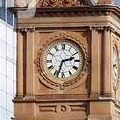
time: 2:33
